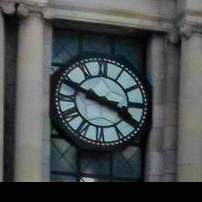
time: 3:48
